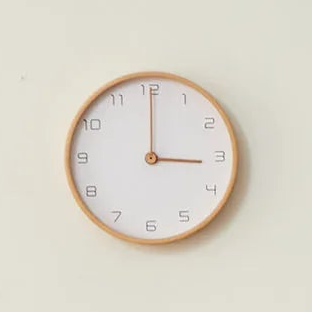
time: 3:00
